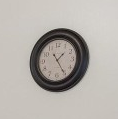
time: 1:24
